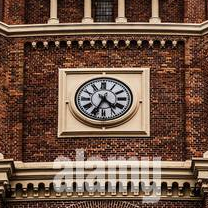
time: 4:34
